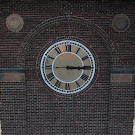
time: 3:14
